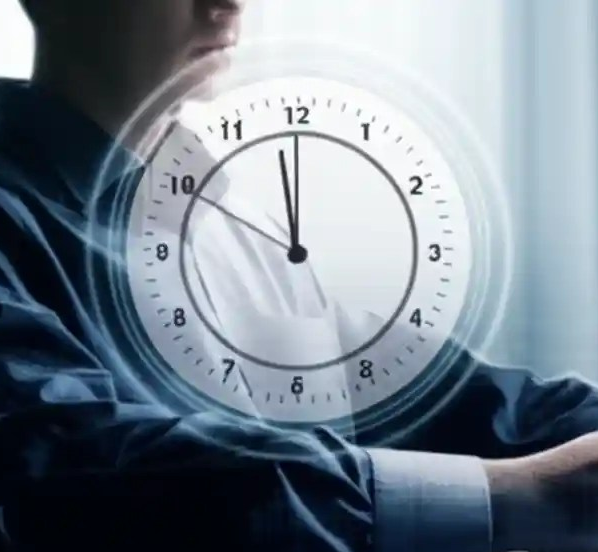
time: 11:49
